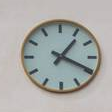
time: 1:19
